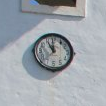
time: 10:59
